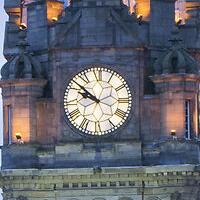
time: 9:51
